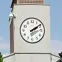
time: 2:09
